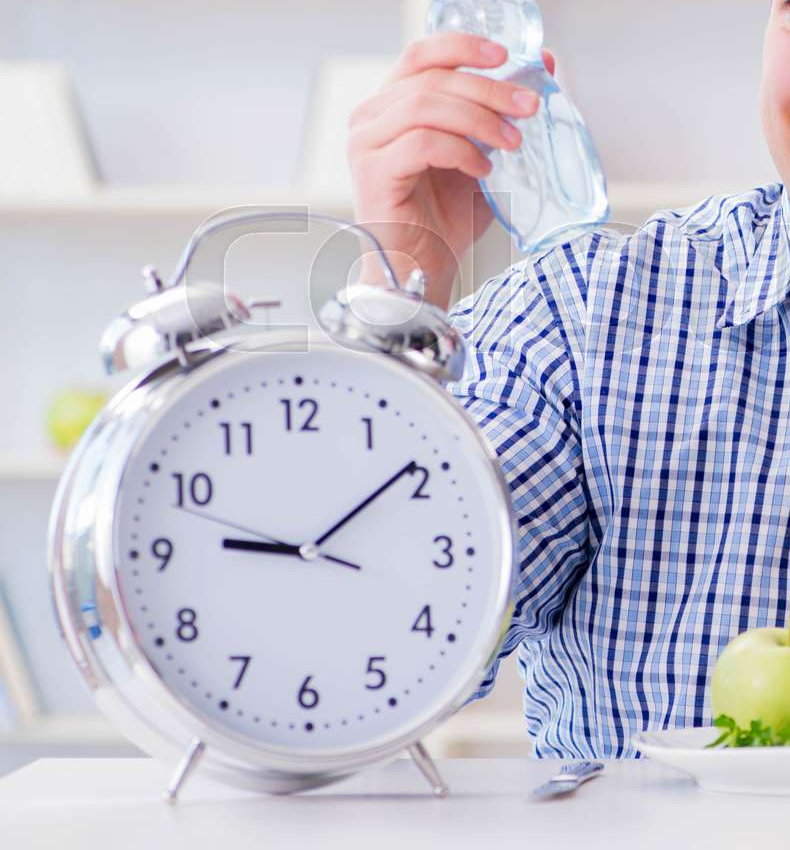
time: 9:09
